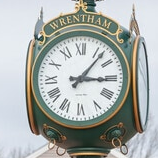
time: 3:06
